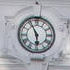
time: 5:55
